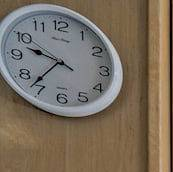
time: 9:36
